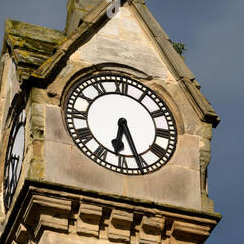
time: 6:26
